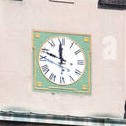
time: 11:48
